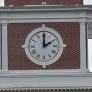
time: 2:00
